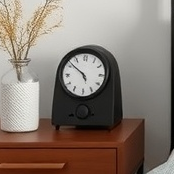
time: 4:51
